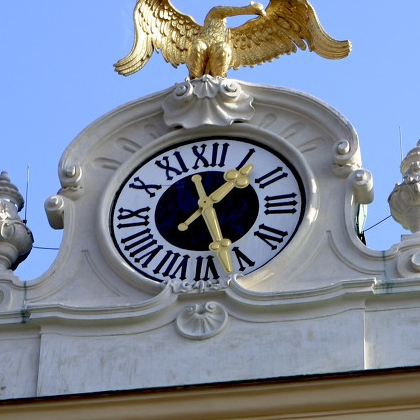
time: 1:26
